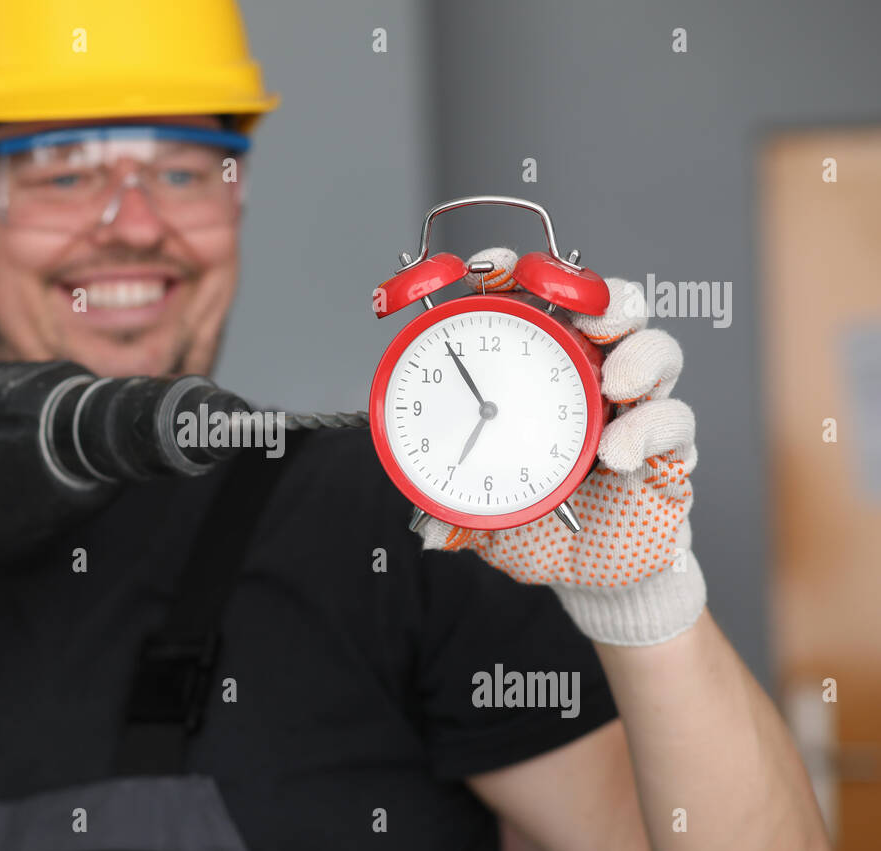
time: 6:54
